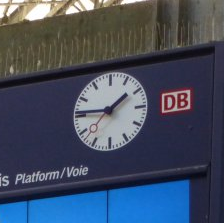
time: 1:45
